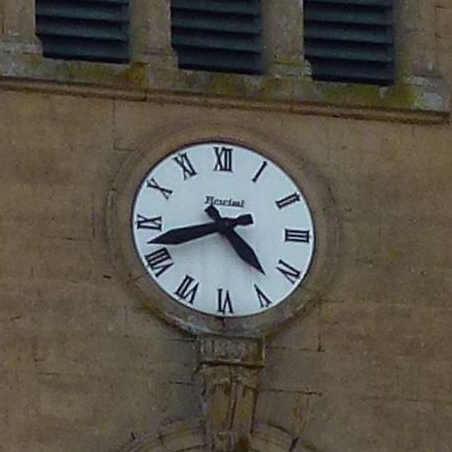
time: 4:42
